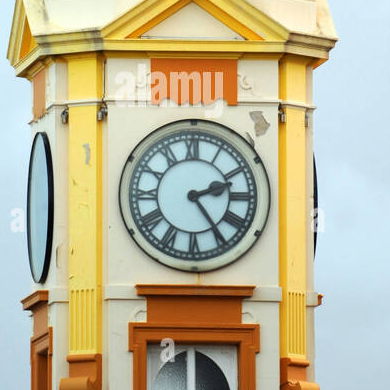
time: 2:24
